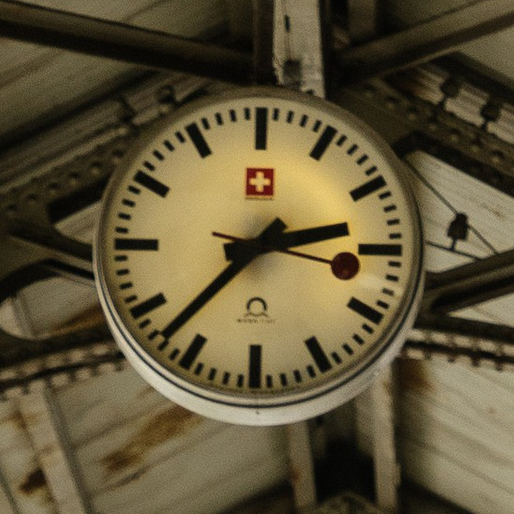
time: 2:37
